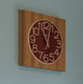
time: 11:03
